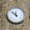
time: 11:52
